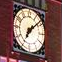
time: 7:08
